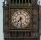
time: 7:28
